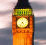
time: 4:37
